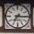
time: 7:15
